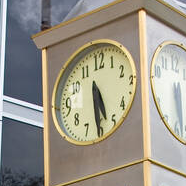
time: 5:30
